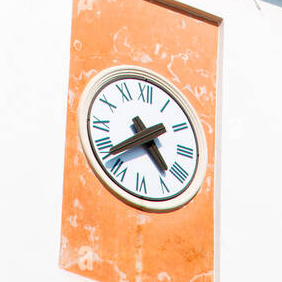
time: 4:38
